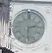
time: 2:29
